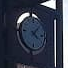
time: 4:07
